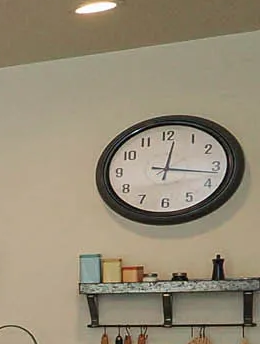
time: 12:16
